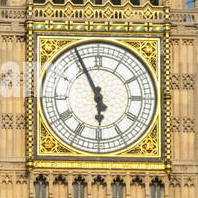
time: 5:55
